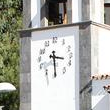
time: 3:29
